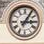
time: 3:05
